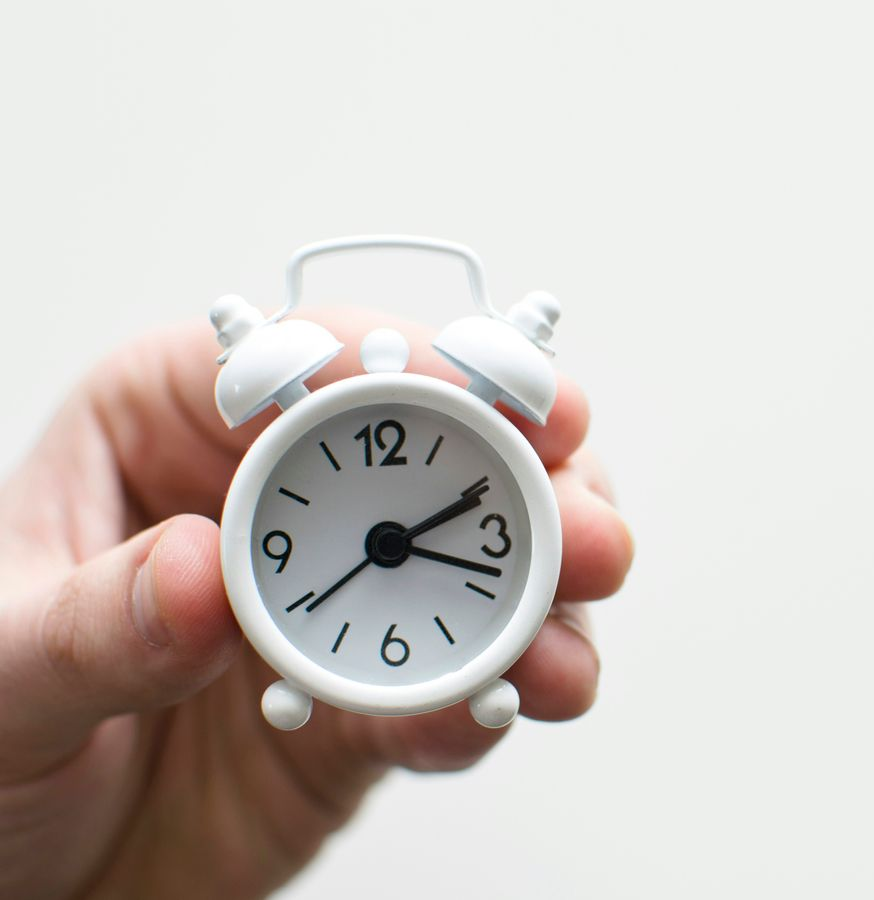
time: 2:18
